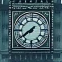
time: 7:39
